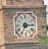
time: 7:14
